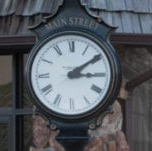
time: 3:09
